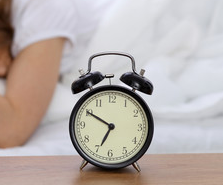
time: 6:50
